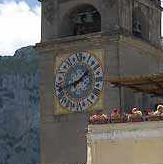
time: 1:42
